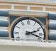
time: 2:18
